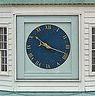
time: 10:18
